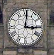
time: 3:01
